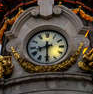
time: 8:30
